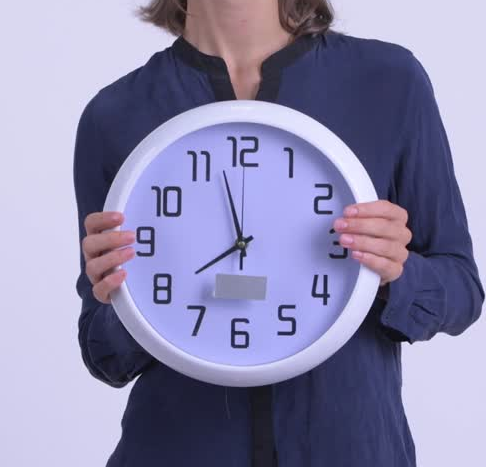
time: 7:57
